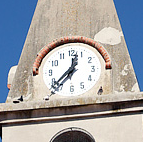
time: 12:37
